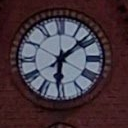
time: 6:08
